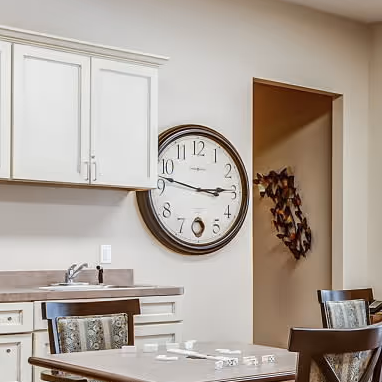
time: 2:47
